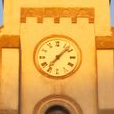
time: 7:07
